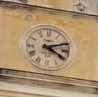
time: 4:11
